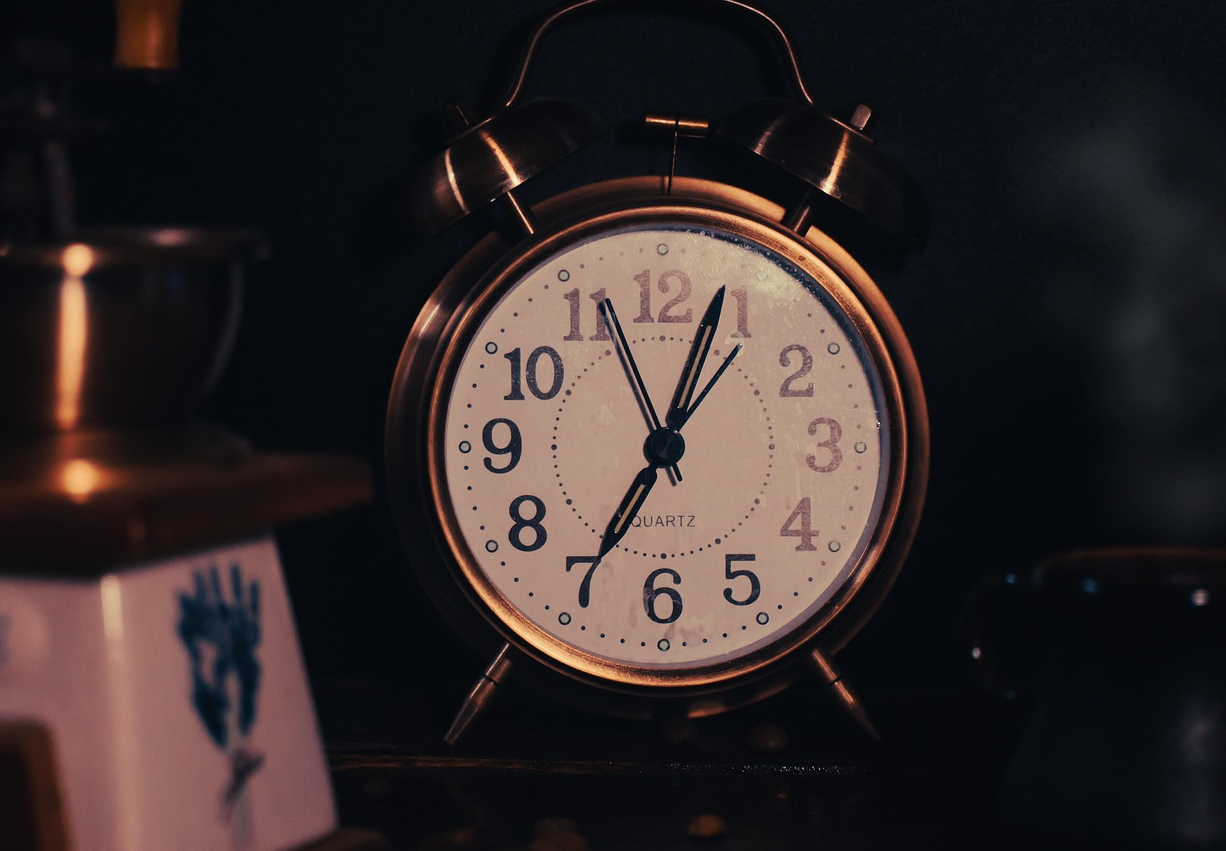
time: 7:03
